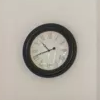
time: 10:41
